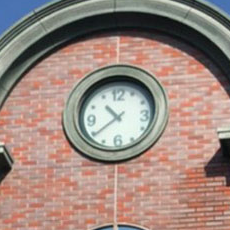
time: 10:39
